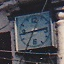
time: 2:43
